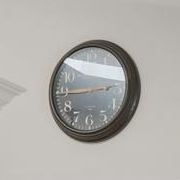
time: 8:44
